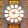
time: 7:15
